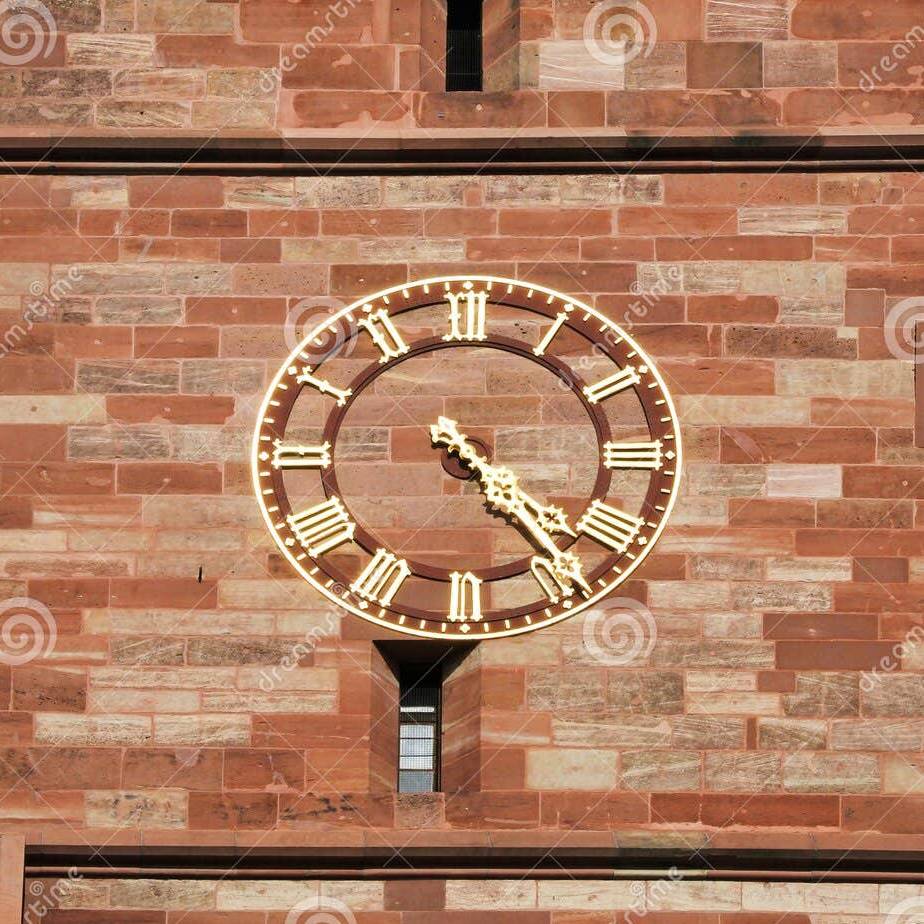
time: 4:23
